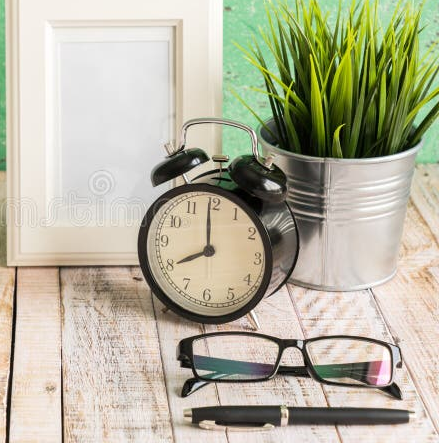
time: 7:59
